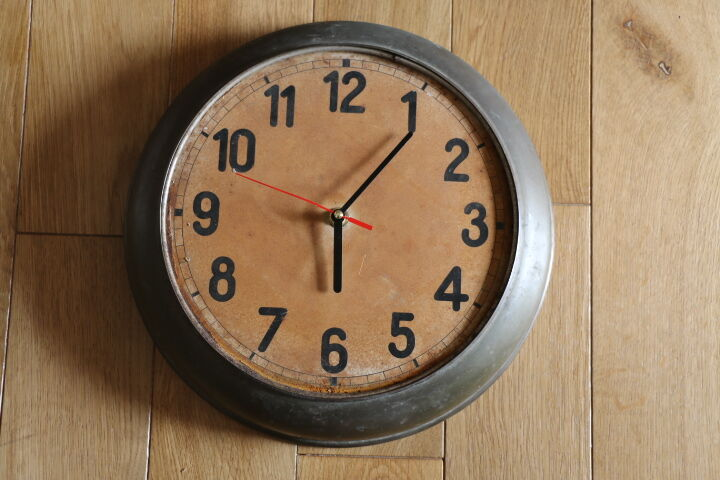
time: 6:06
